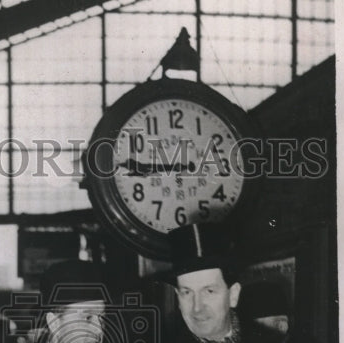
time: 8:45
